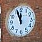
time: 11:56
